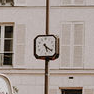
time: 5:20
